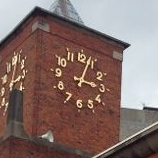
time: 3:03
